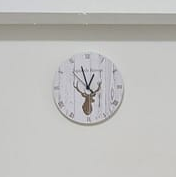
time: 12:57
